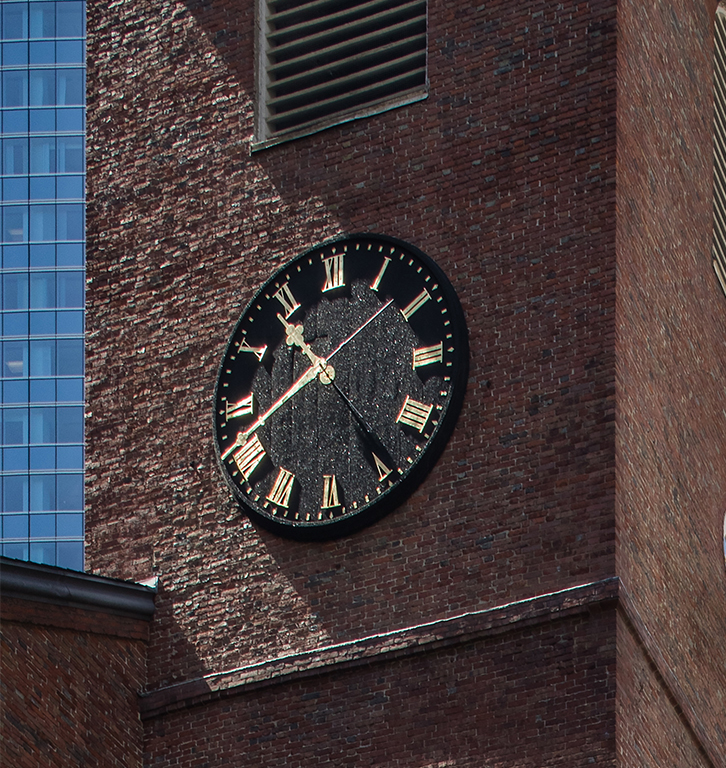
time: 10:41
